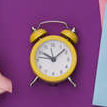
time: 10:08
